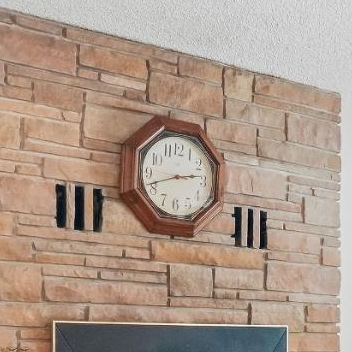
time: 2:41
